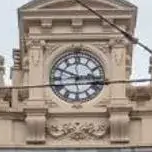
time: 2:49
